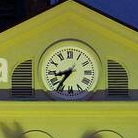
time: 8:36
